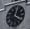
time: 12:20
